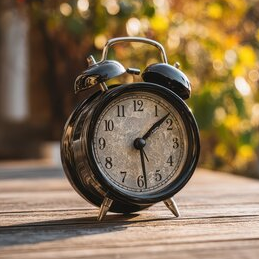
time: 1:28
